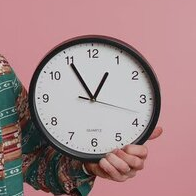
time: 12:54
